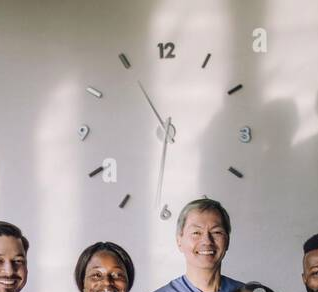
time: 10:31
